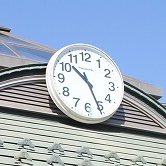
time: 10:25
